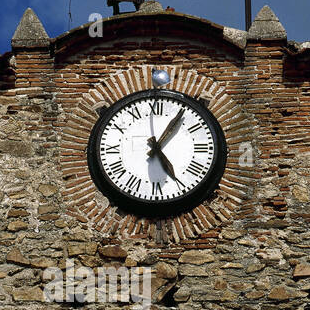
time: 5:05
